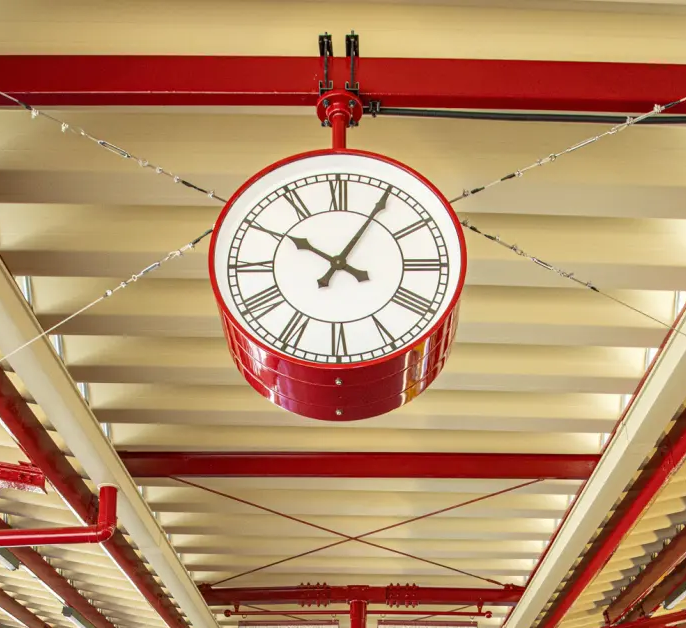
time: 10:05
